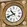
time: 10:41
